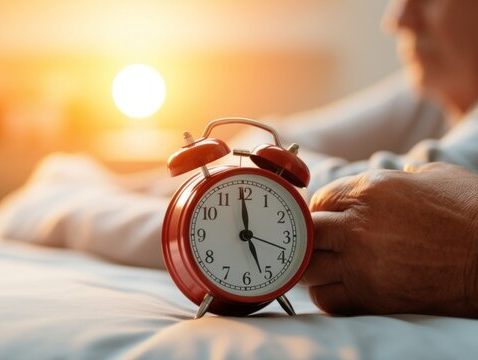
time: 4:59
